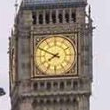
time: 7:49
